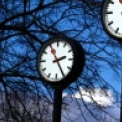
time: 2:25
